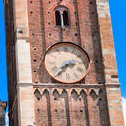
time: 2:36
